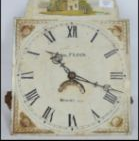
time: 10:18
